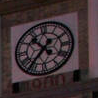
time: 10:36
